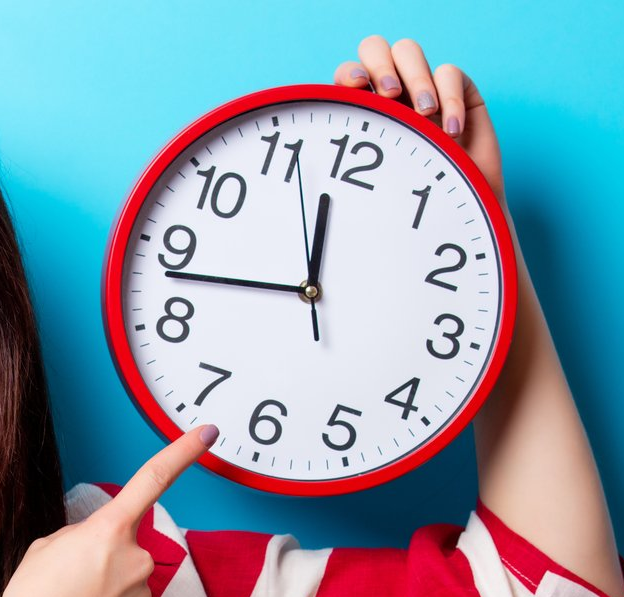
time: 11:42
